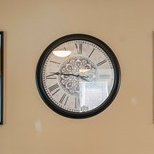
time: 9:10
